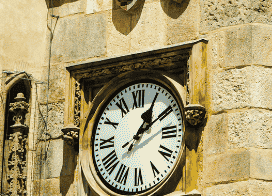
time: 1:10
